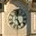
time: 4:59
